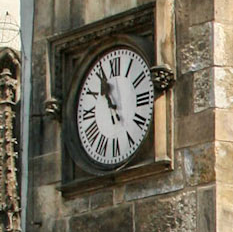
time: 10:56
